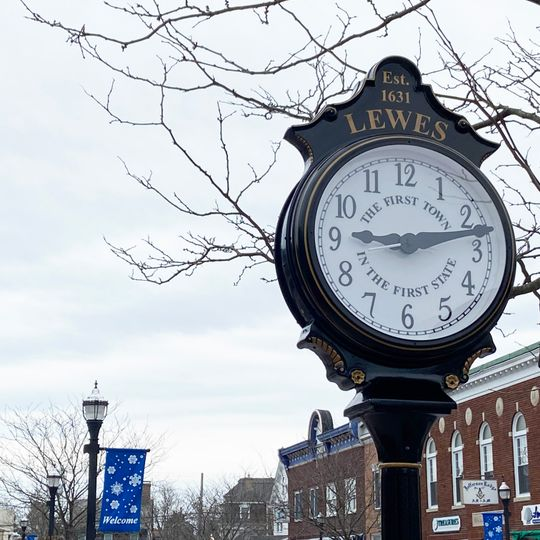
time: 9:12
